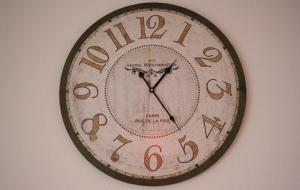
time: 1:23
